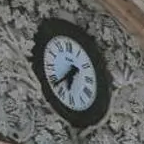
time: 6:38
